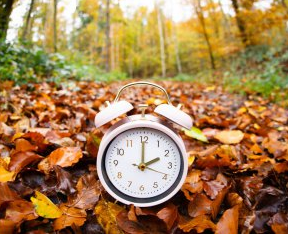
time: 2:00
